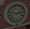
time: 2:46
